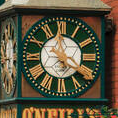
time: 3:58
